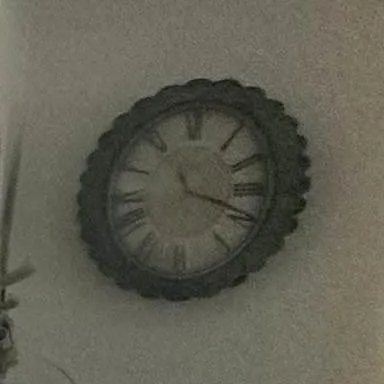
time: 11:18
